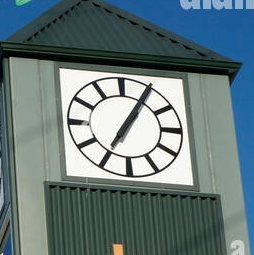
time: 7:05
